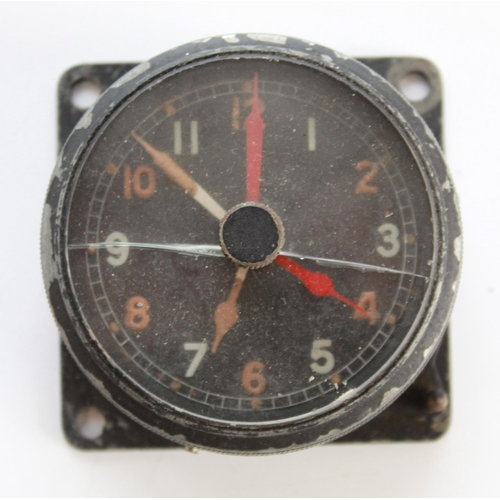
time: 6:45
